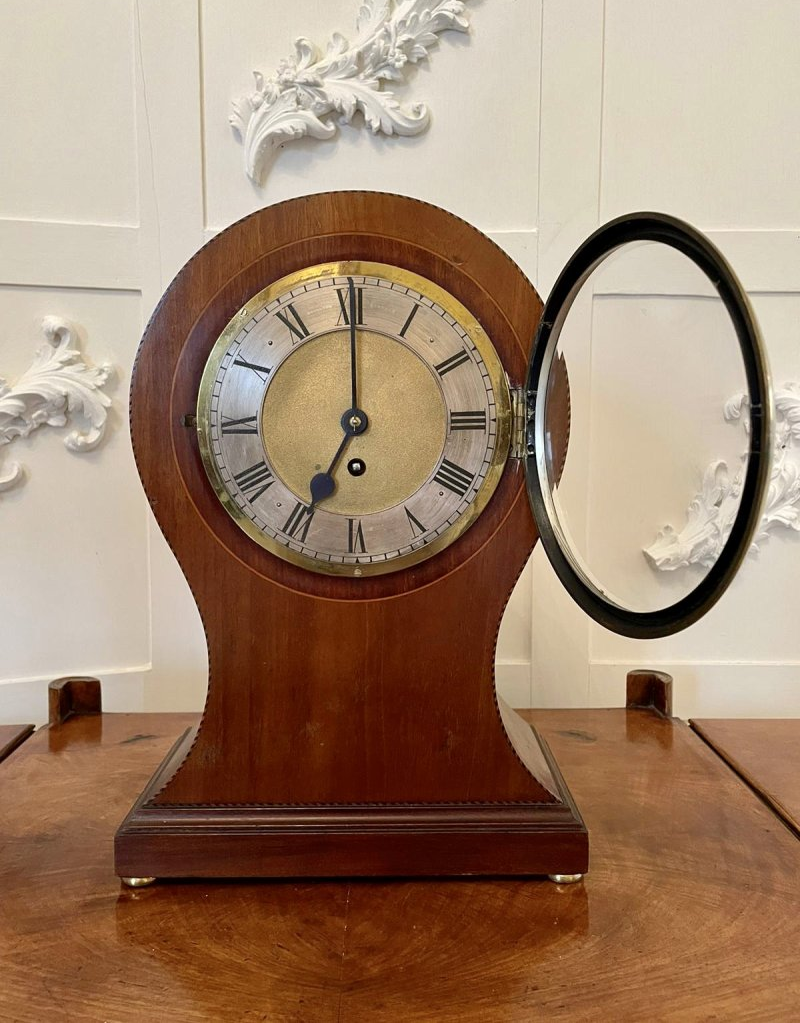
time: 7:00
